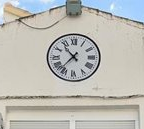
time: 10:37
